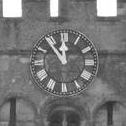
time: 11:53
